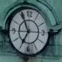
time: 6:55
